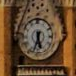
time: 5:33
